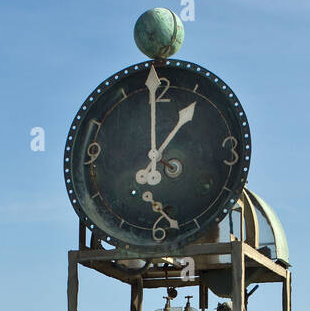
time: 12:59
